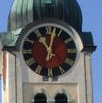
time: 11:02
